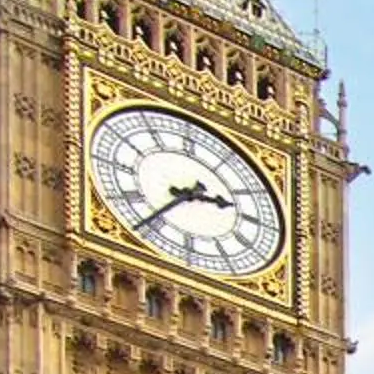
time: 2:36
